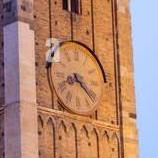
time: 8:21
